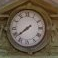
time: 7:38
